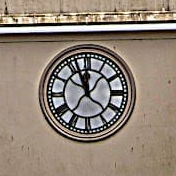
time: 11:56
